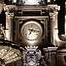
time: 7:15
